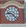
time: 9:22
